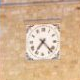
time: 7:22
